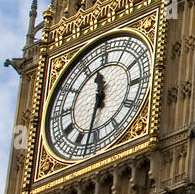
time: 11:32
